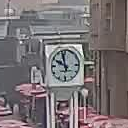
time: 9:57
